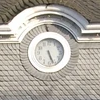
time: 5:26
